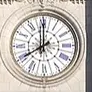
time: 8:00
